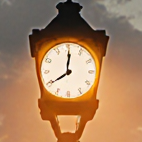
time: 8:00
